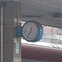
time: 12:35
